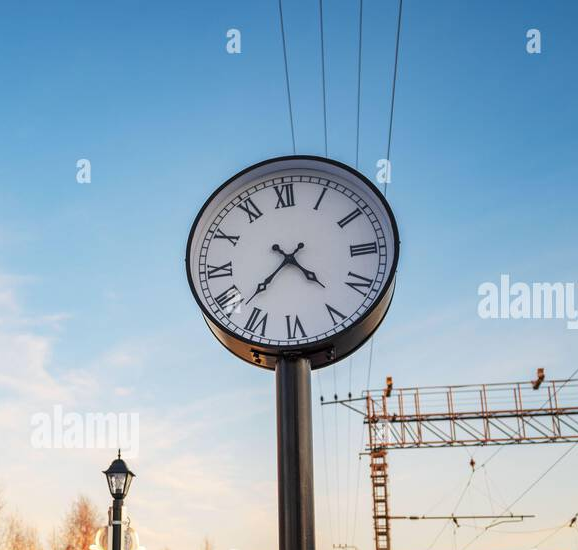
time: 4:37
